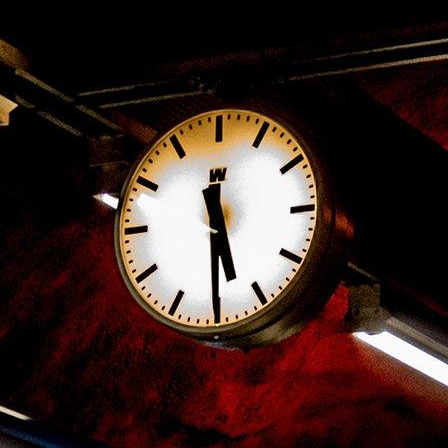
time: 5:30
